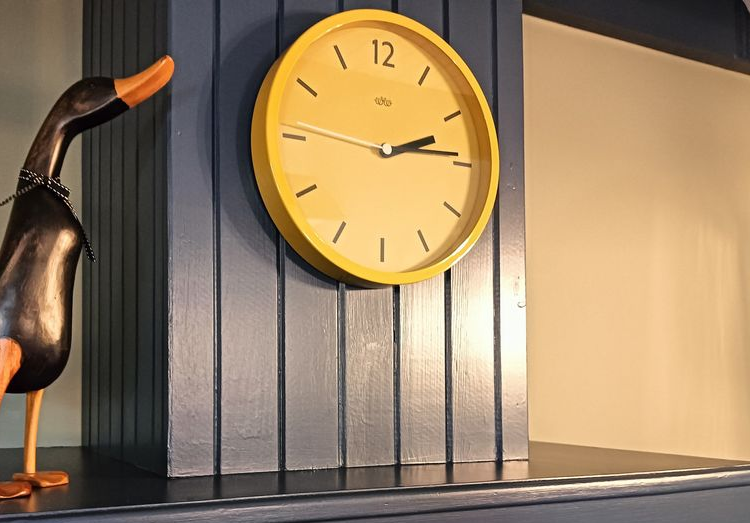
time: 2:14
